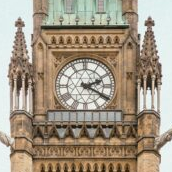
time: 2:19
